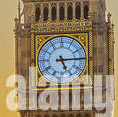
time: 5:14
